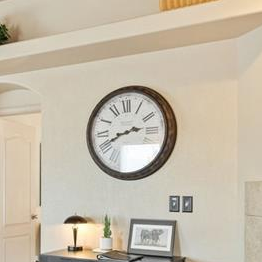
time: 2:40
